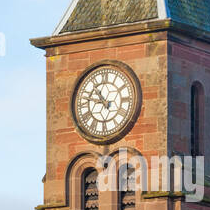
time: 10:47
